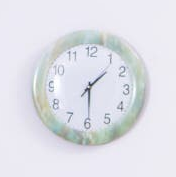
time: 1:29
